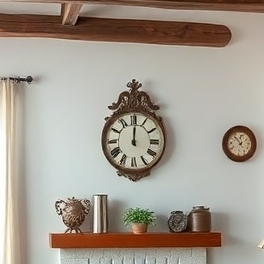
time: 12:00
